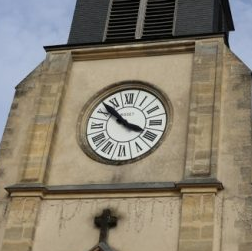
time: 3:52
